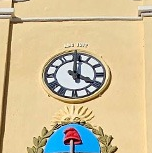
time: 4:00
